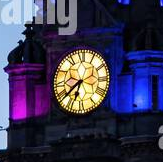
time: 6:38
